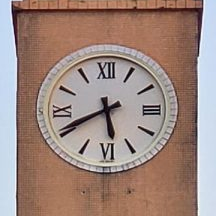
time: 5:40
